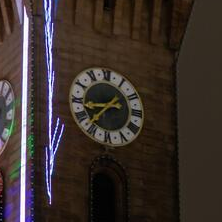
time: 8:37
